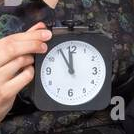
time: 11:55
